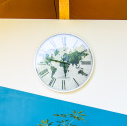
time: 5:47
